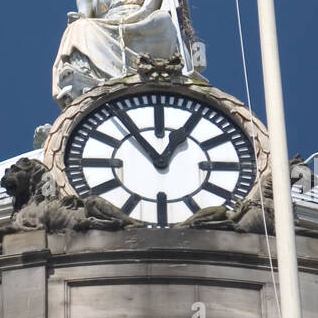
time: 12:53
